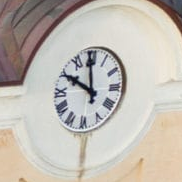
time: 9:58
